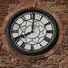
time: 8:00
